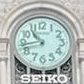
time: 10:43
